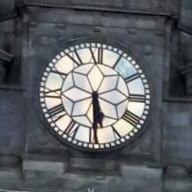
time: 5:29
